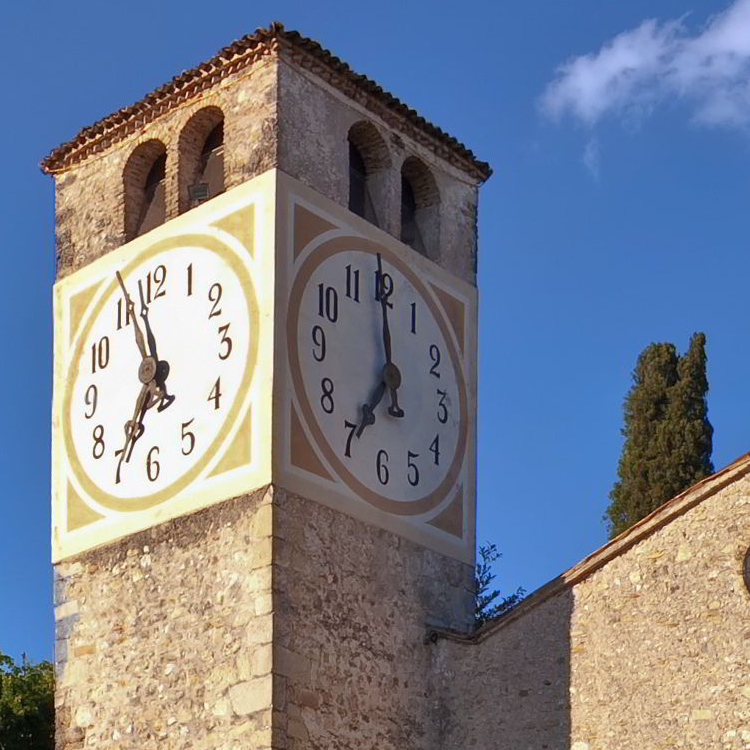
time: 6:59
